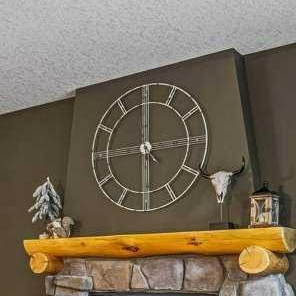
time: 6:00
